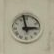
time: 2:58
